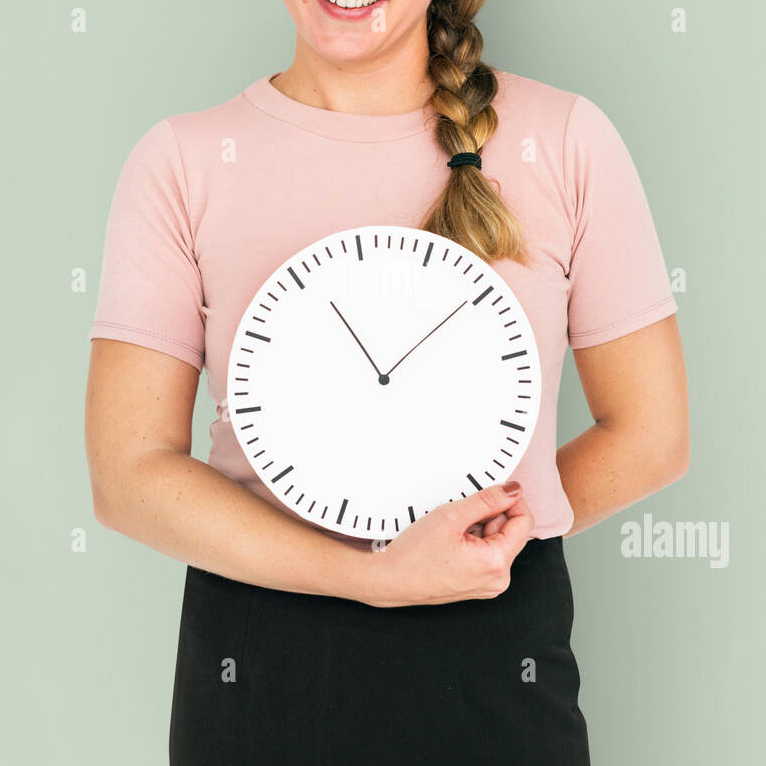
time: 11:09
